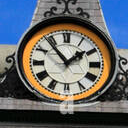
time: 1:53
